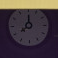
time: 8:00
